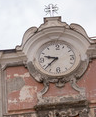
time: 9:38
